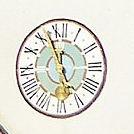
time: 5:57
